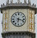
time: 6:17
